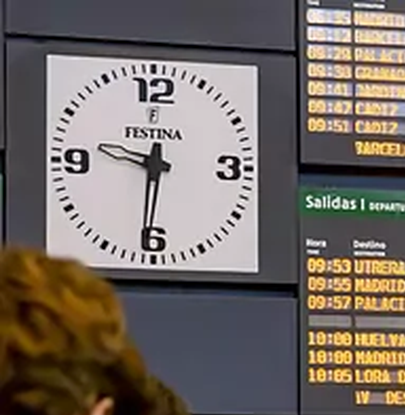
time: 9:31
